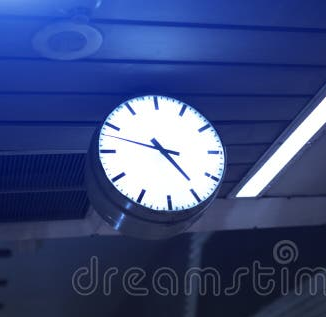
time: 4:48
